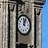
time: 12:04
